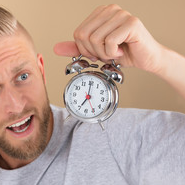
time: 7:00
